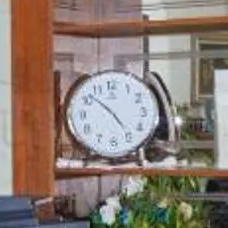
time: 4:52
